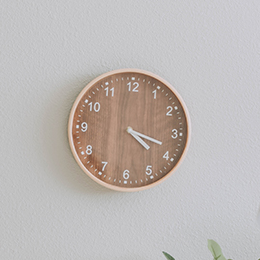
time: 4:18
